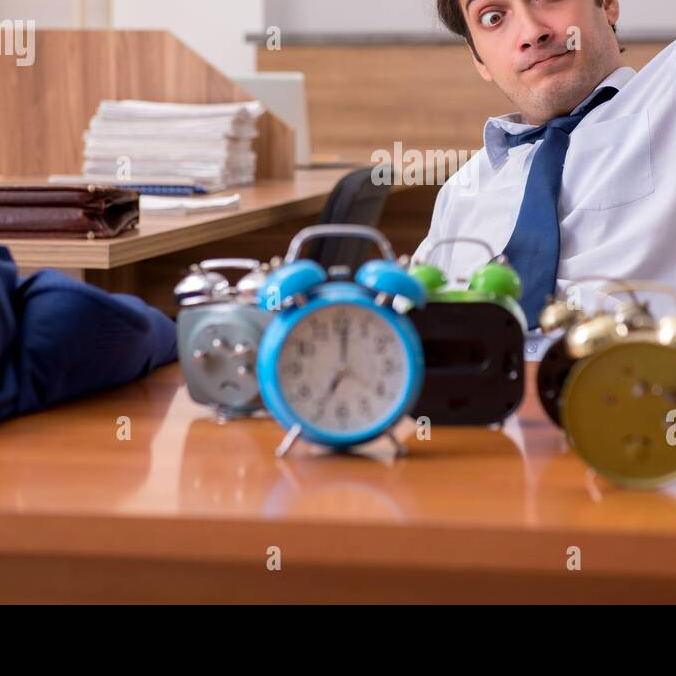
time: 7:00
